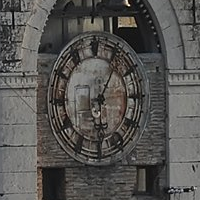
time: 6:05
